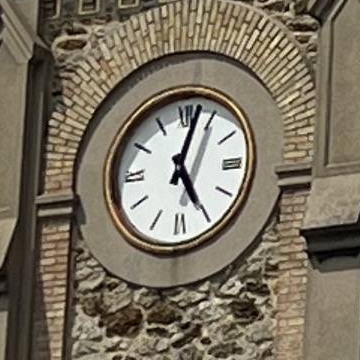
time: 5:02
